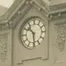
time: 10:29
